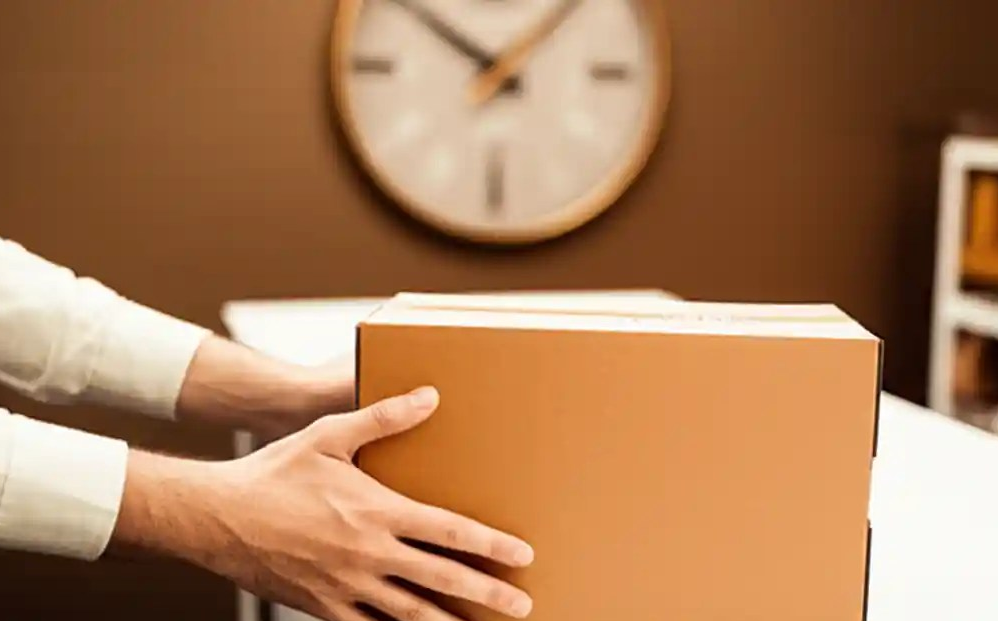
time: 10:07
